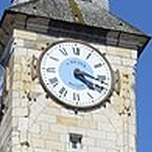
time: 4:17
